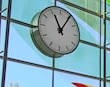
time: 11:05
